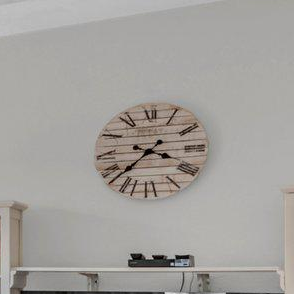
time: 3:37
